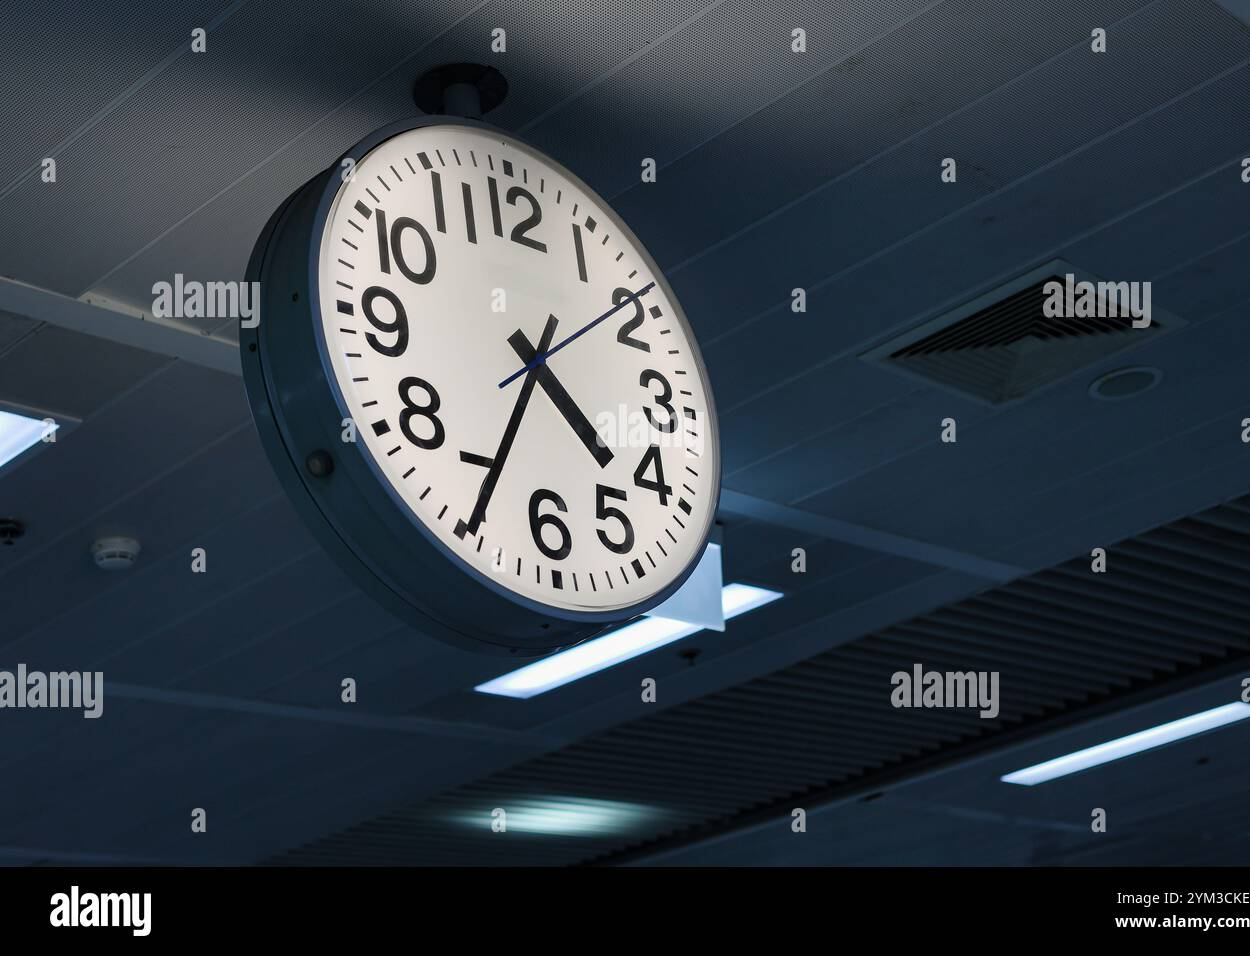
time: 4:34
